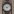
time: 4:12
